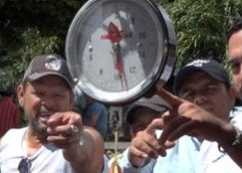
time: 10:28
